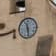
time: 11:28
